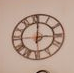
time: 3:00
